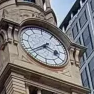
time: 3:38
